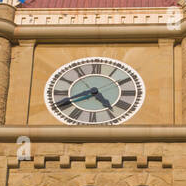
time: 4:40
